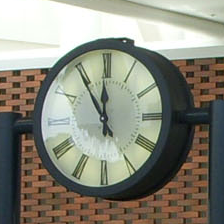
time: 11:54
